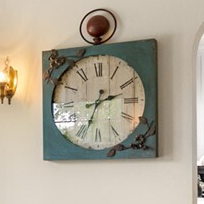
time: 2:33
